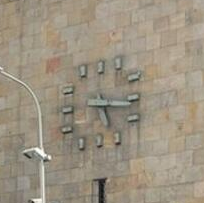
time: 5:16
